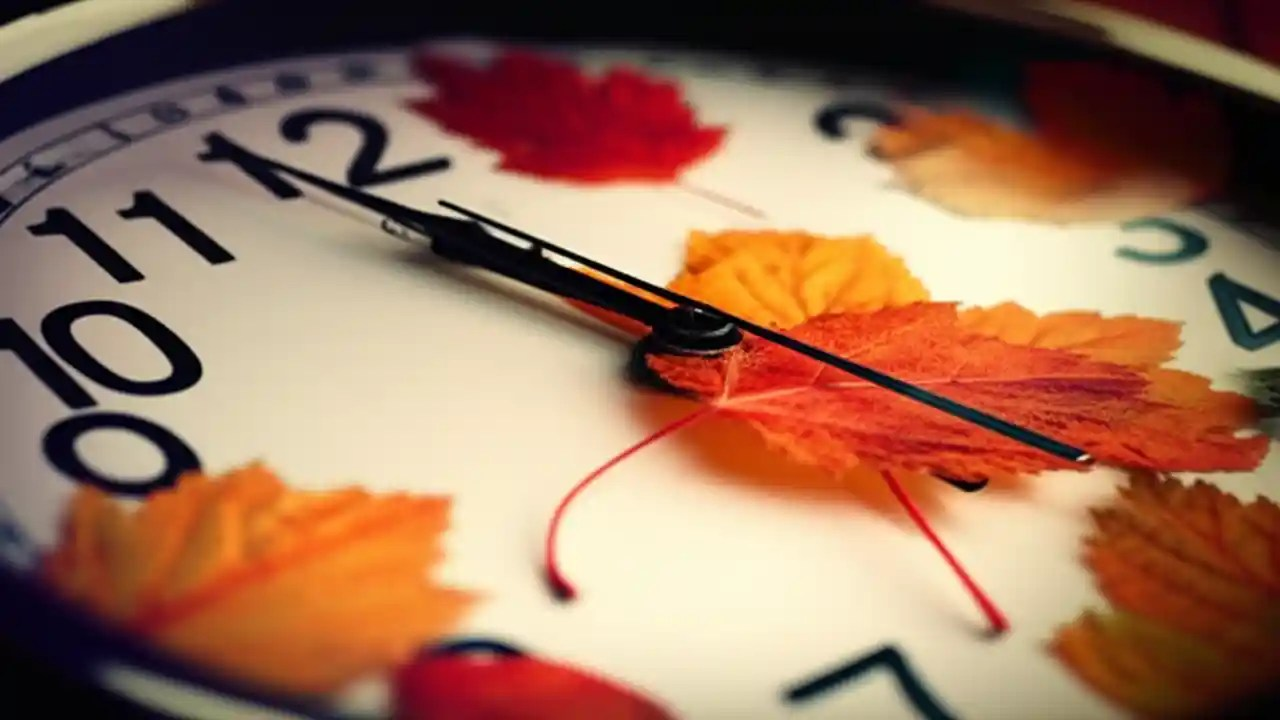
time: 10:20
